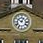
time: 12:51
